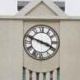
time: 3:48
